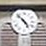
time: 4:52
